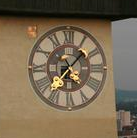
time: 7:07
